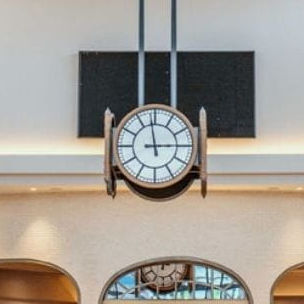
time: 2:58
